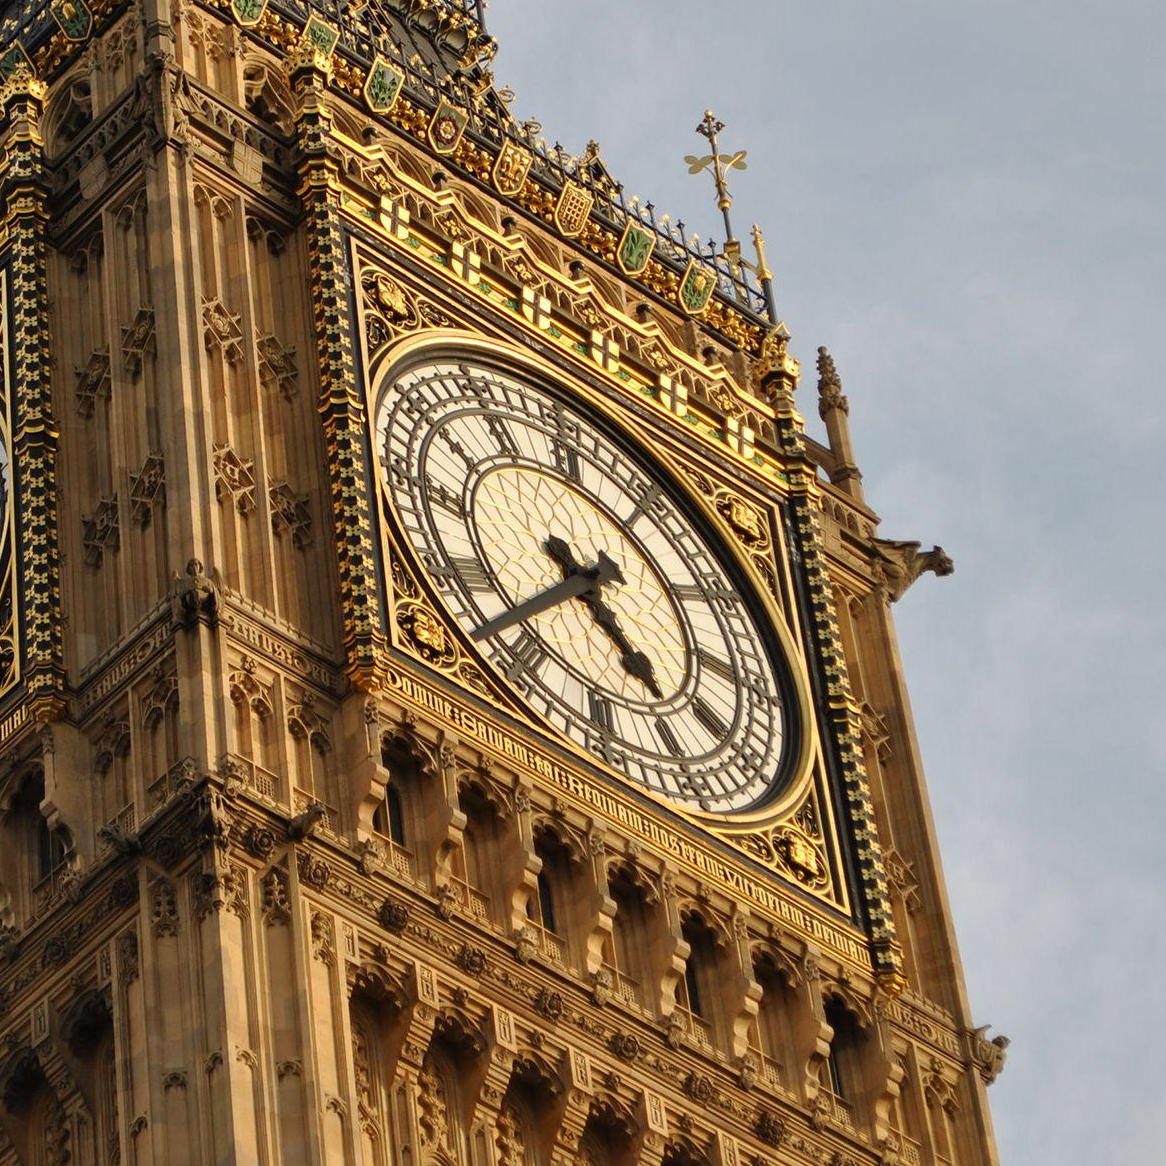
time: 4:37
